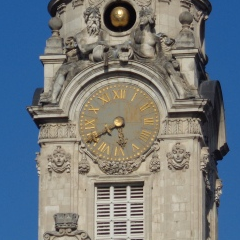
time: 5:40
